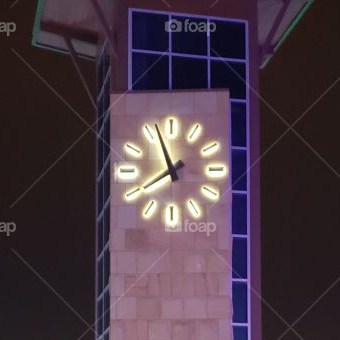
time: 7:56
